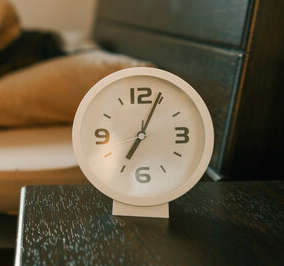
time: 7:04
